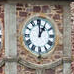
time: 1:00
